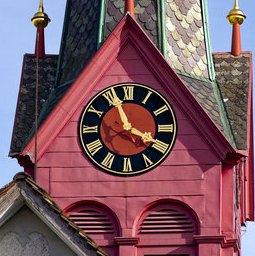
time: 3:56
